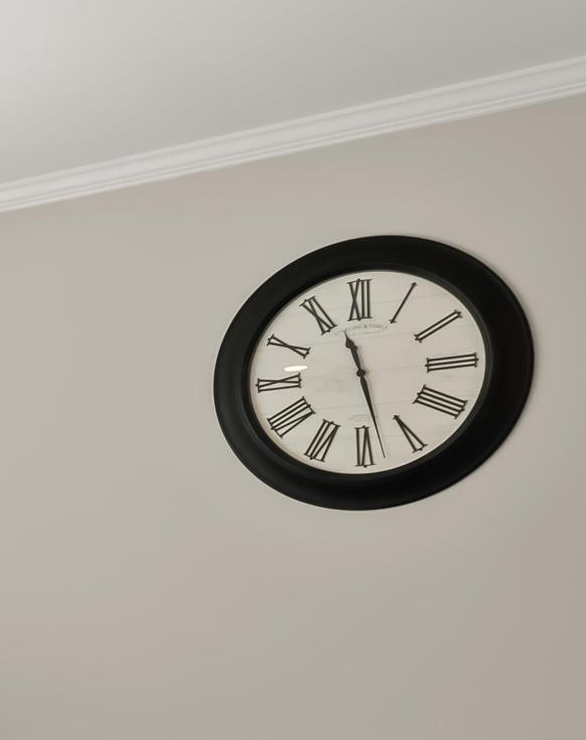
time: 11:28
